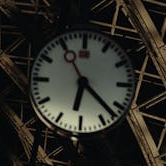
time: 6:22
